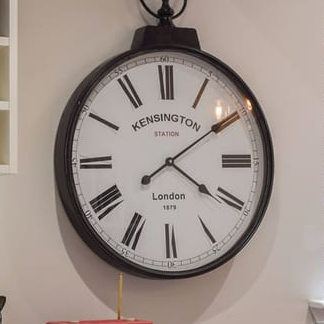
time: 4:09
